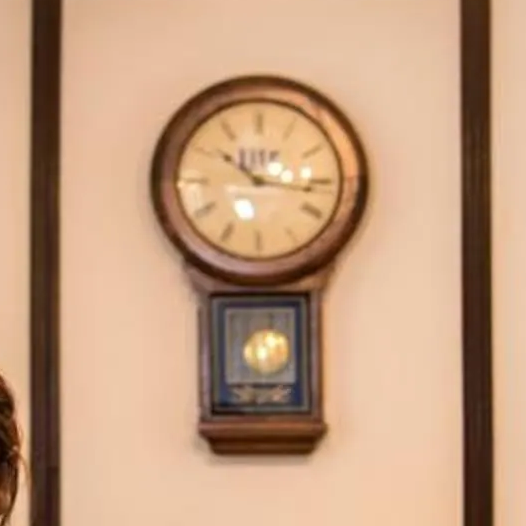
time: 10:15
